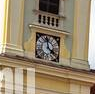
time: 3:58
